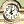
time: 12:07
